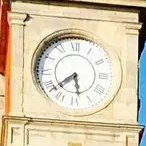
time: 5:38
